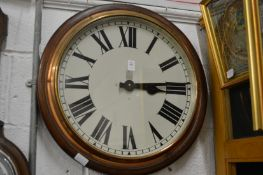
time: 3:14
